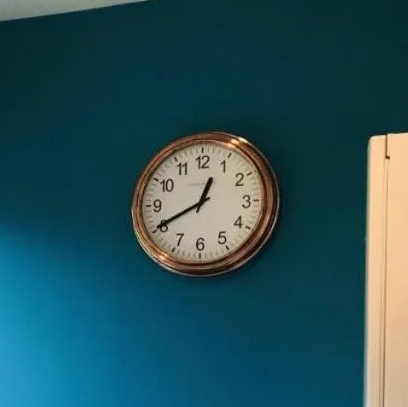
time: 12:40
